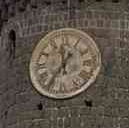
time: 11:35
